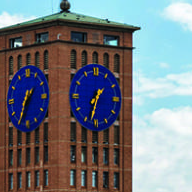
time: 1:32
